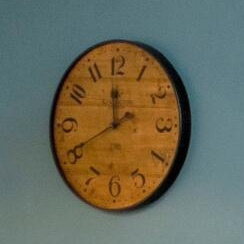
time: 11:40
